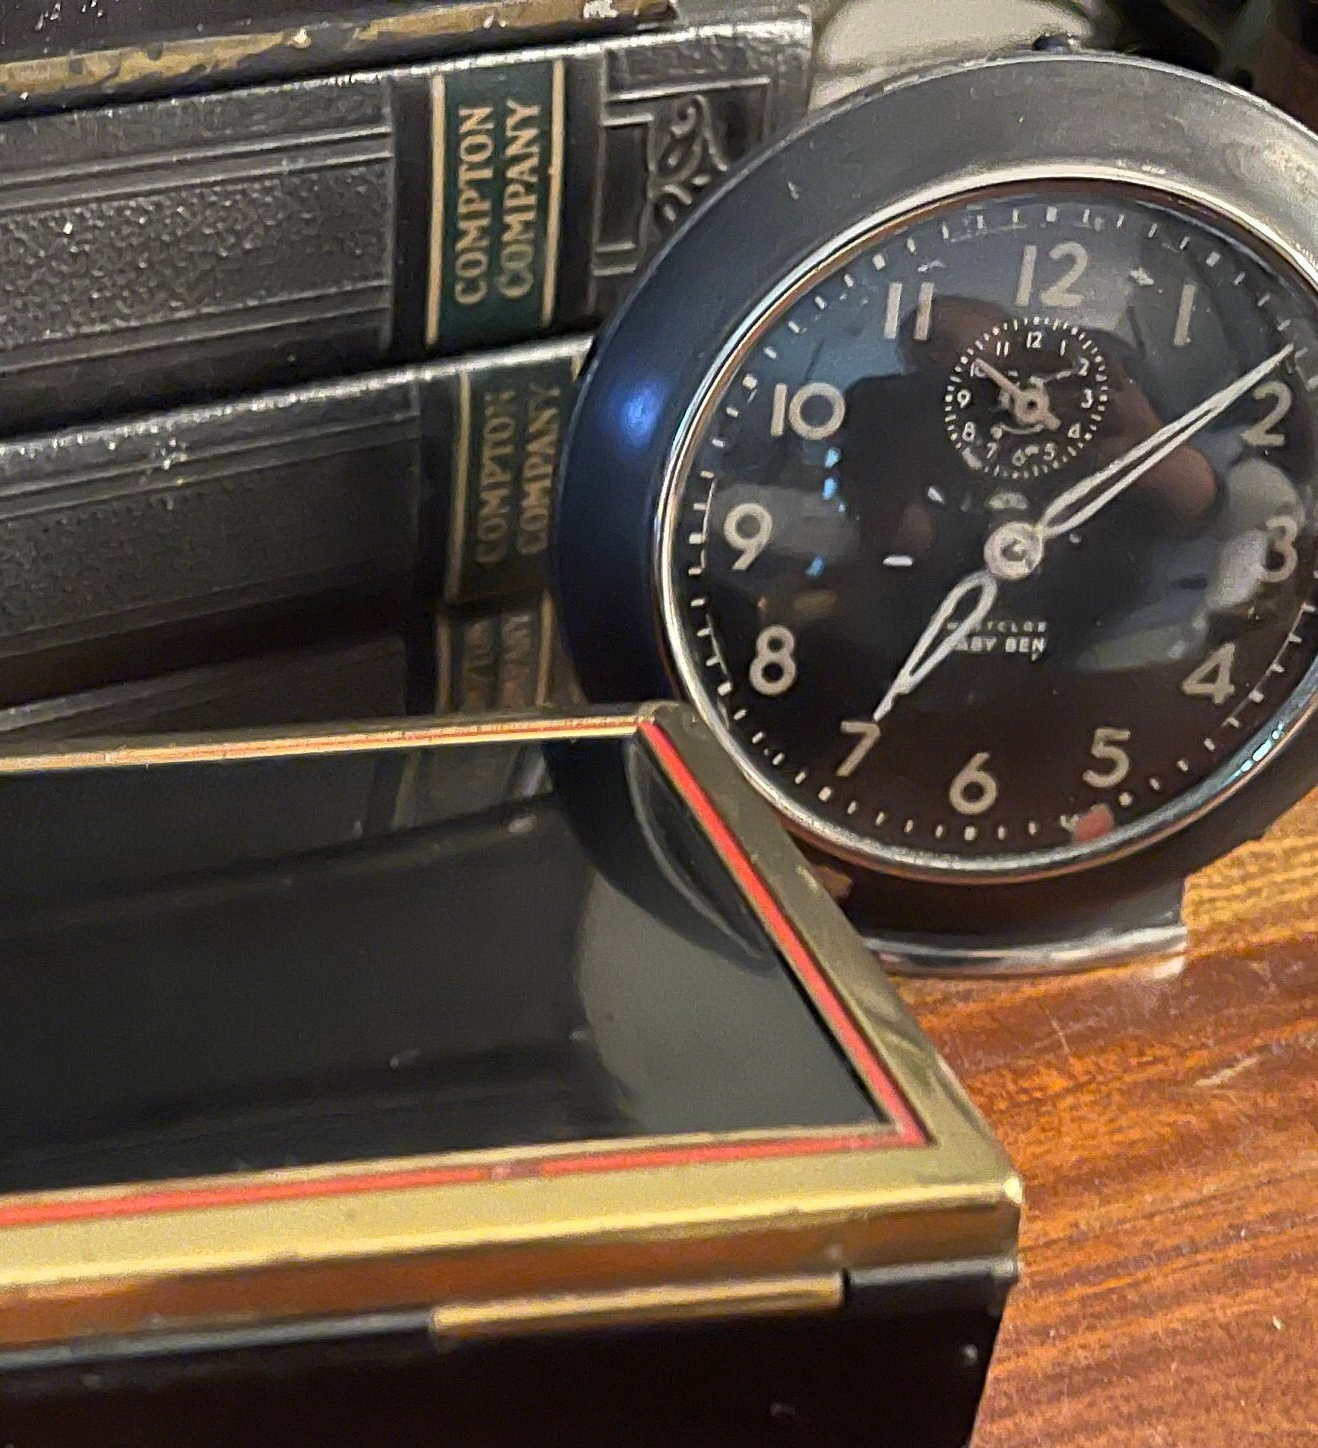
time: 7:08
